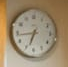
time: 6:43
